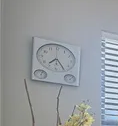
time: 7:24
